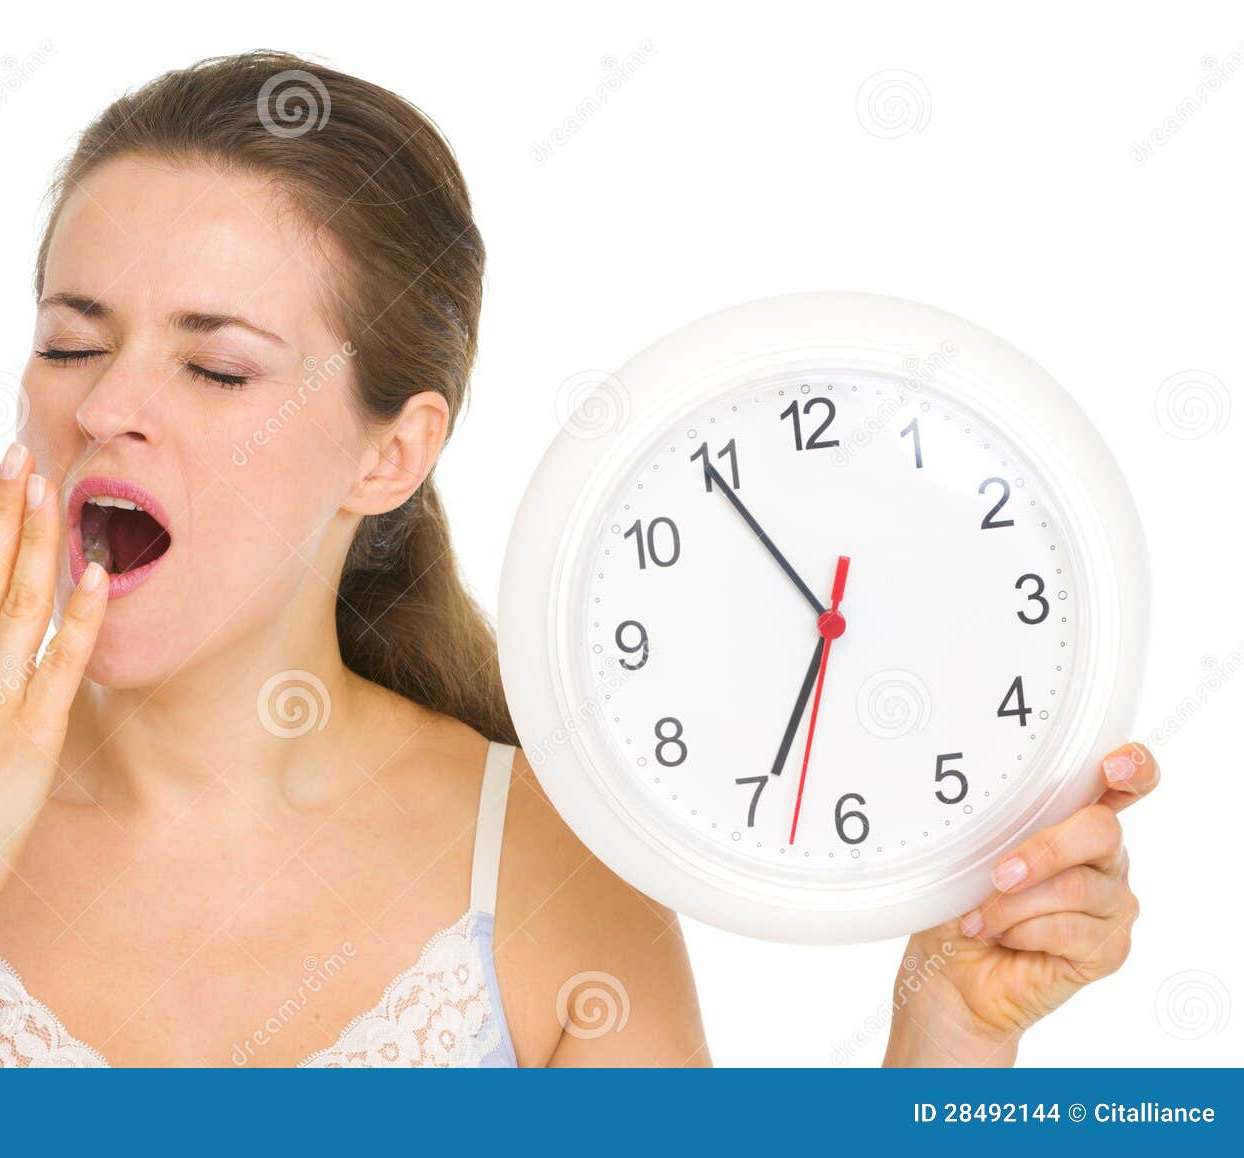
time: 6:54
